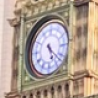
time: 5:22
